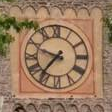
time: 9:36
